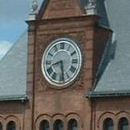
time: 8:28
